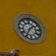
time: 1:35
